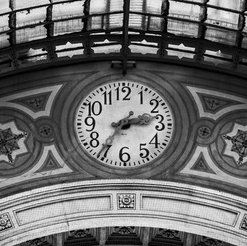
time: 2:36
